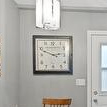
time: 2:48
